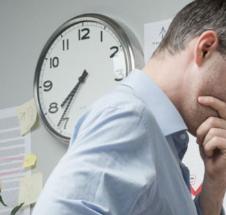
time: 7:36
